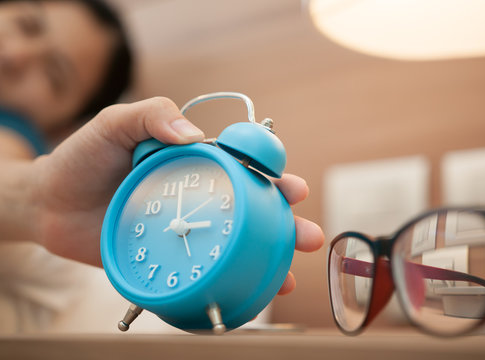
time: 2:58
